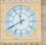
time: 11:40
